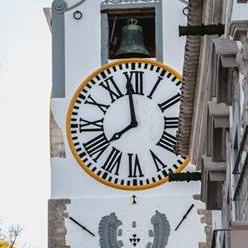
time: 7:58
